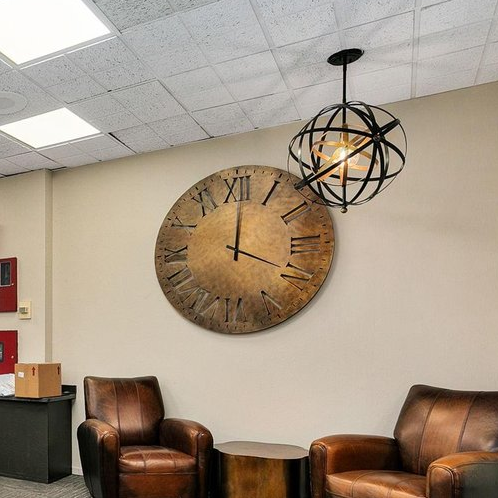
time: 4:00
